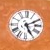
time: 5:10
